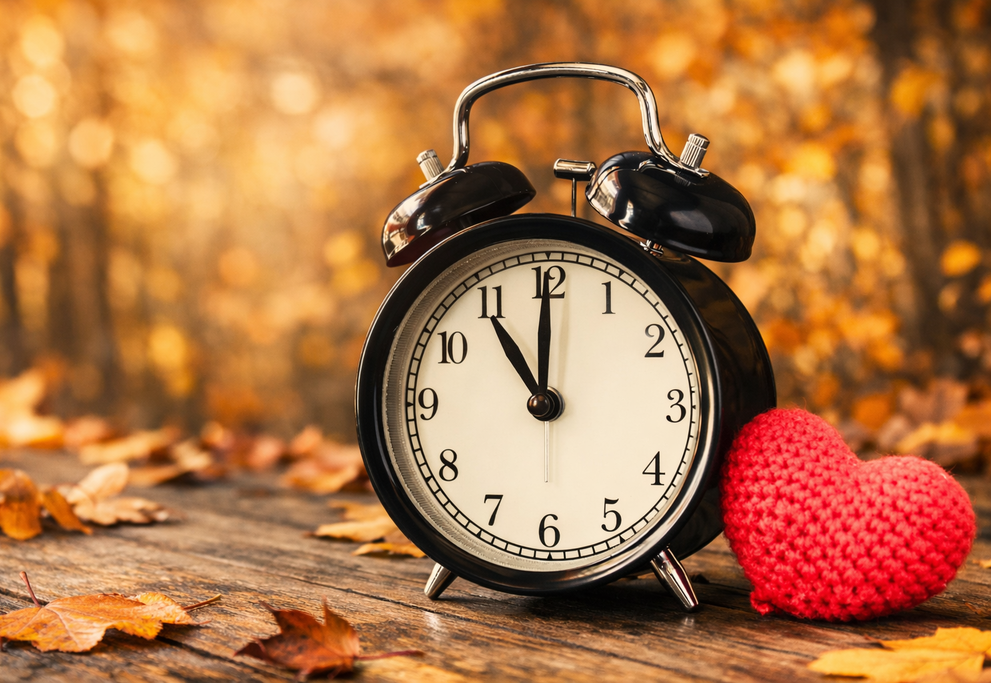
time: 11:00
